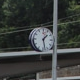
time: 1:28
